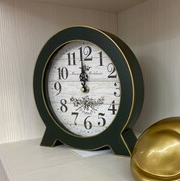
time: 11:59
